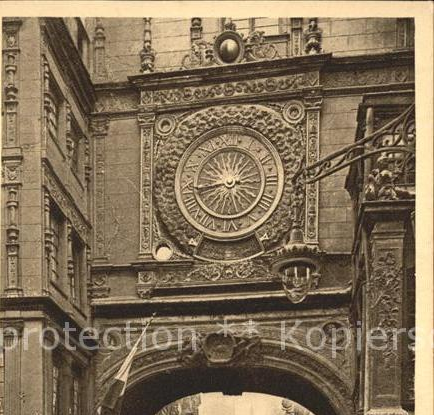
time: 8:43
